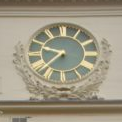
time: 9:36
